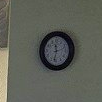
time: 11:32
